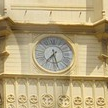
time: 7:28
